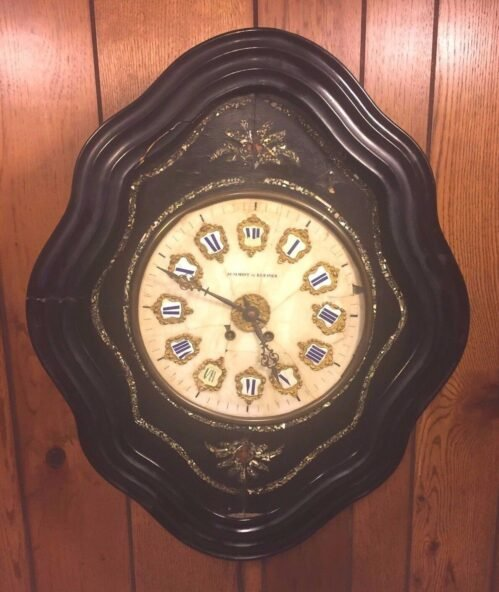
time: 4:49
